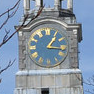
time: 1:16
